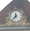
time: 11:37
